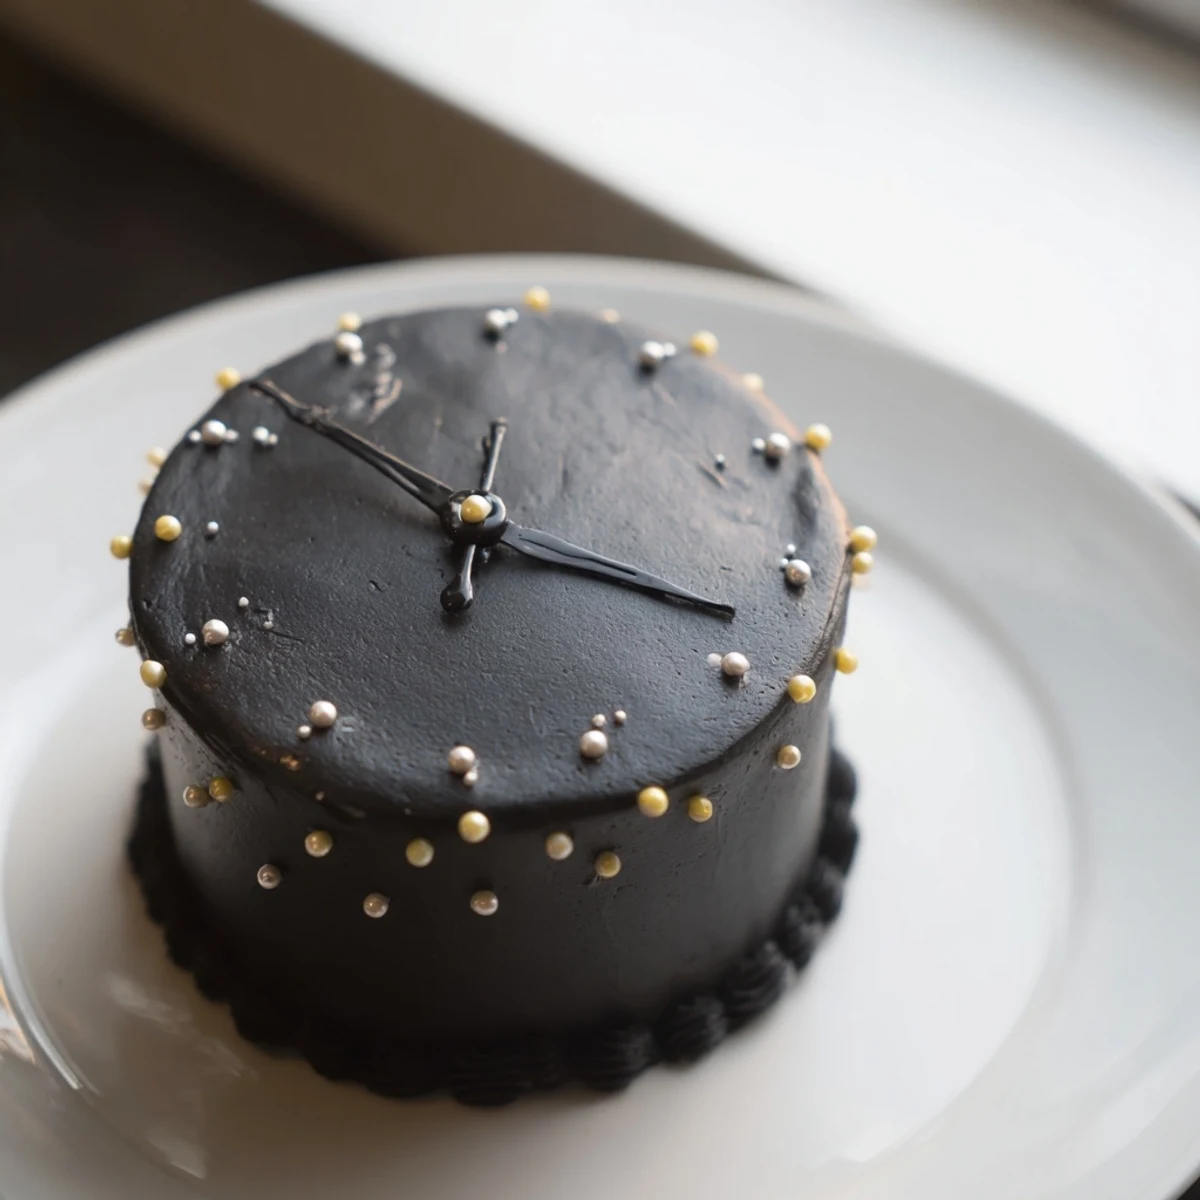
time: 10:17
